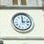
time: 12:13
